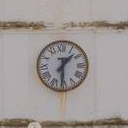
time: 1:30
